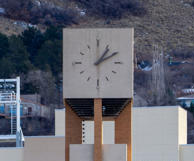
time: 1:10
